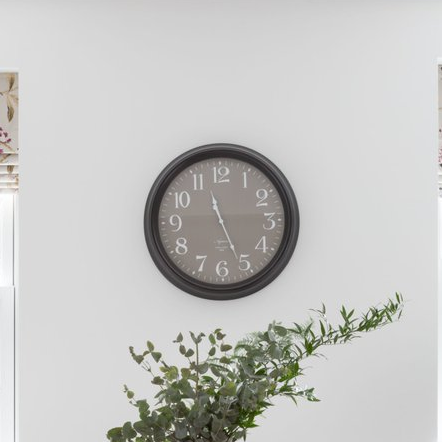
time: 11:25
